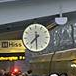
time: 7:30
